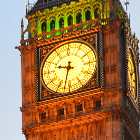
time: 9:32
